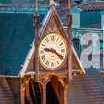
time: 9:20
